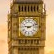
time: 9:11
